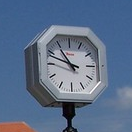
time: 10:48
